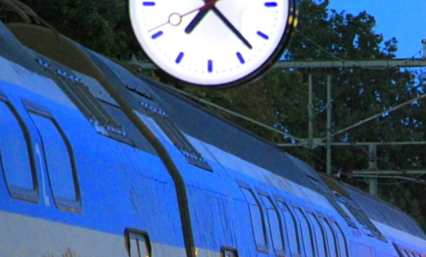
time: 7:22
